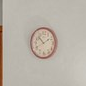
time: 10:40
